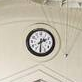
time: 2:29
